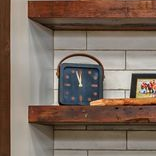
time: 11:56
